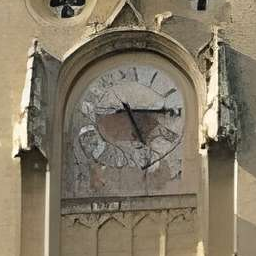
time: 5:14
